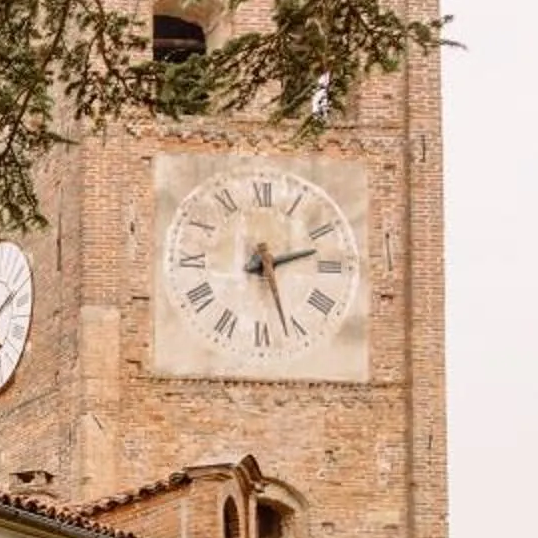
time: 2:26
